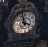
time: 3:58
